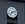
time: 7:11
